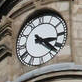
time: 3:22
